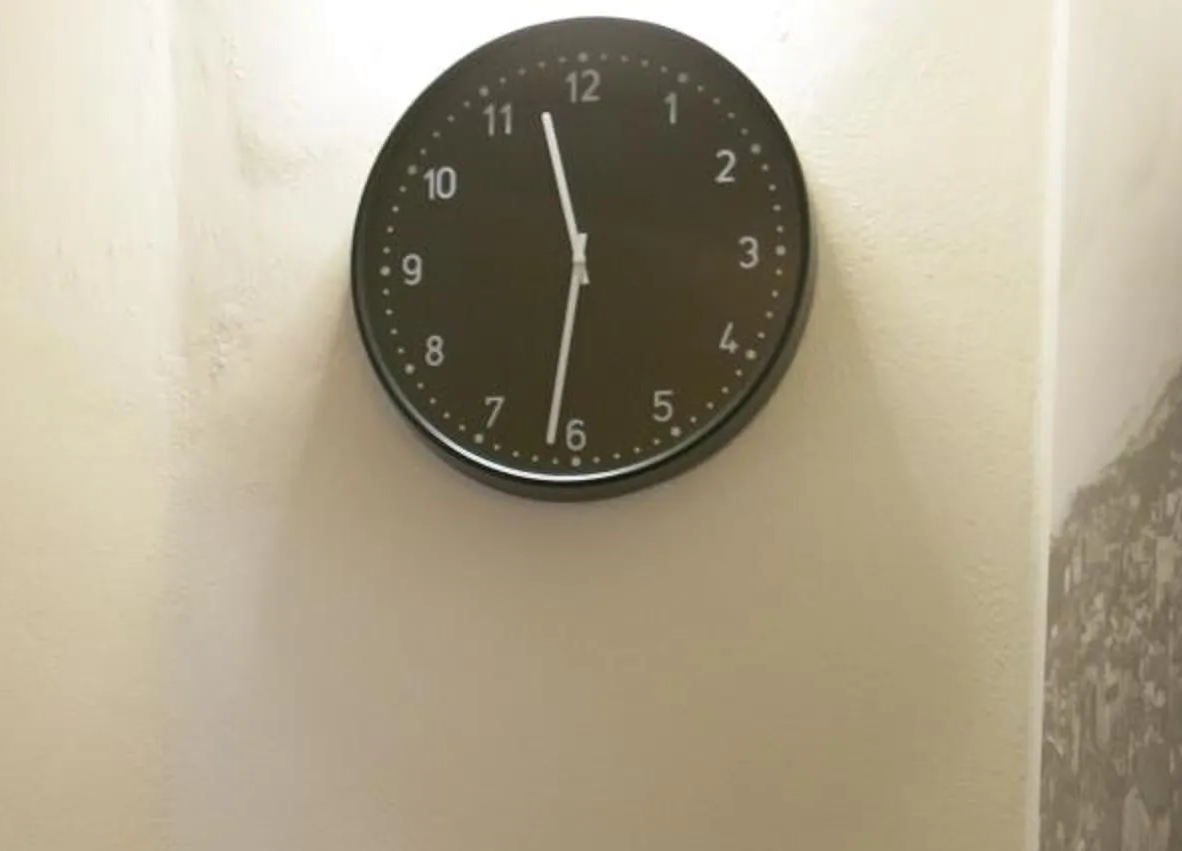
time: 11:31
